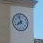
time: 7:57
